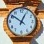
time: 12:51
